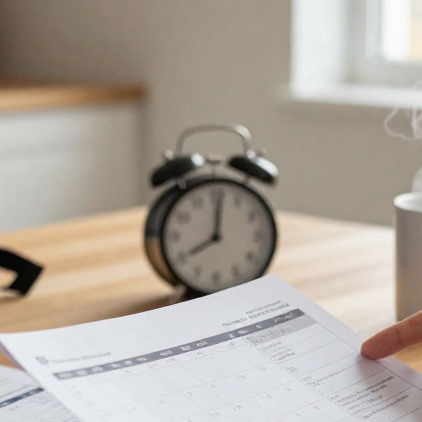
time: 8:01
